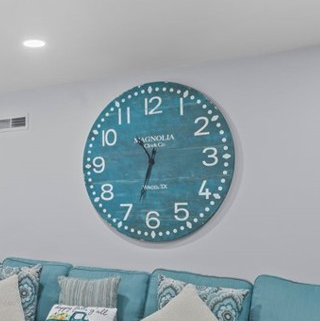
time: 10:33
